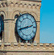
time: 2:42
